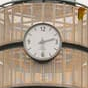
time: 2:29
